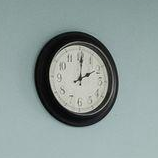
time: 2:00
